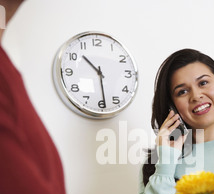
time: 10:29
